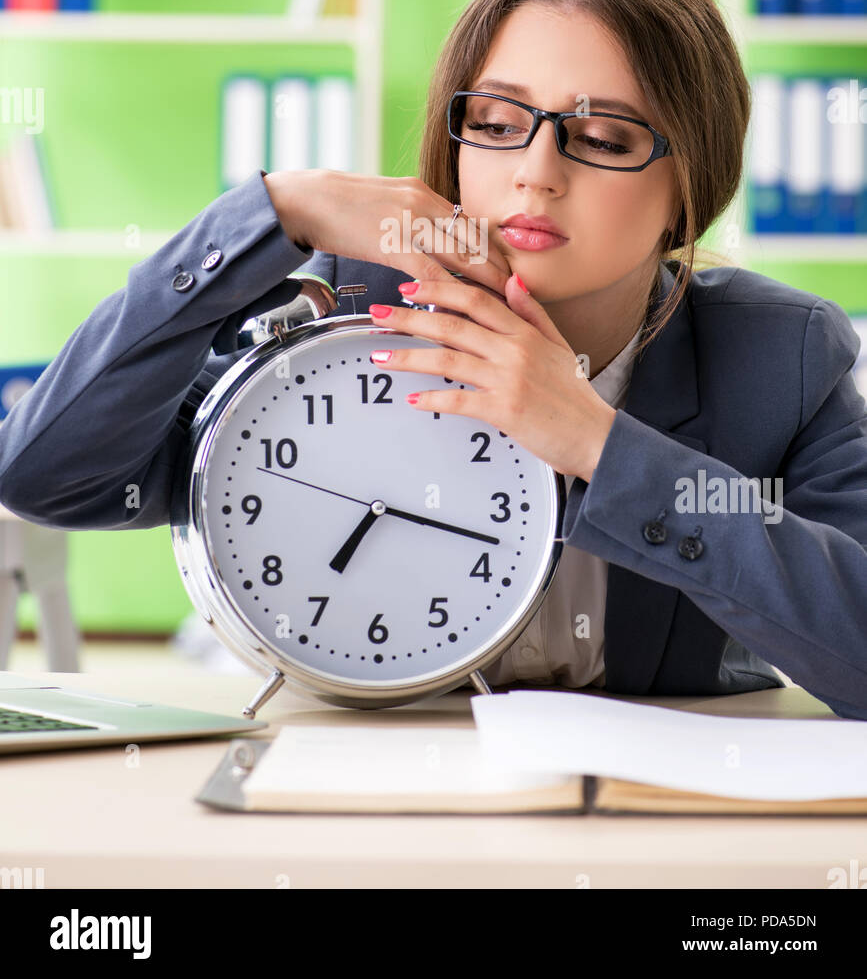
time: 7:17
